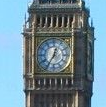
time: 12:34
